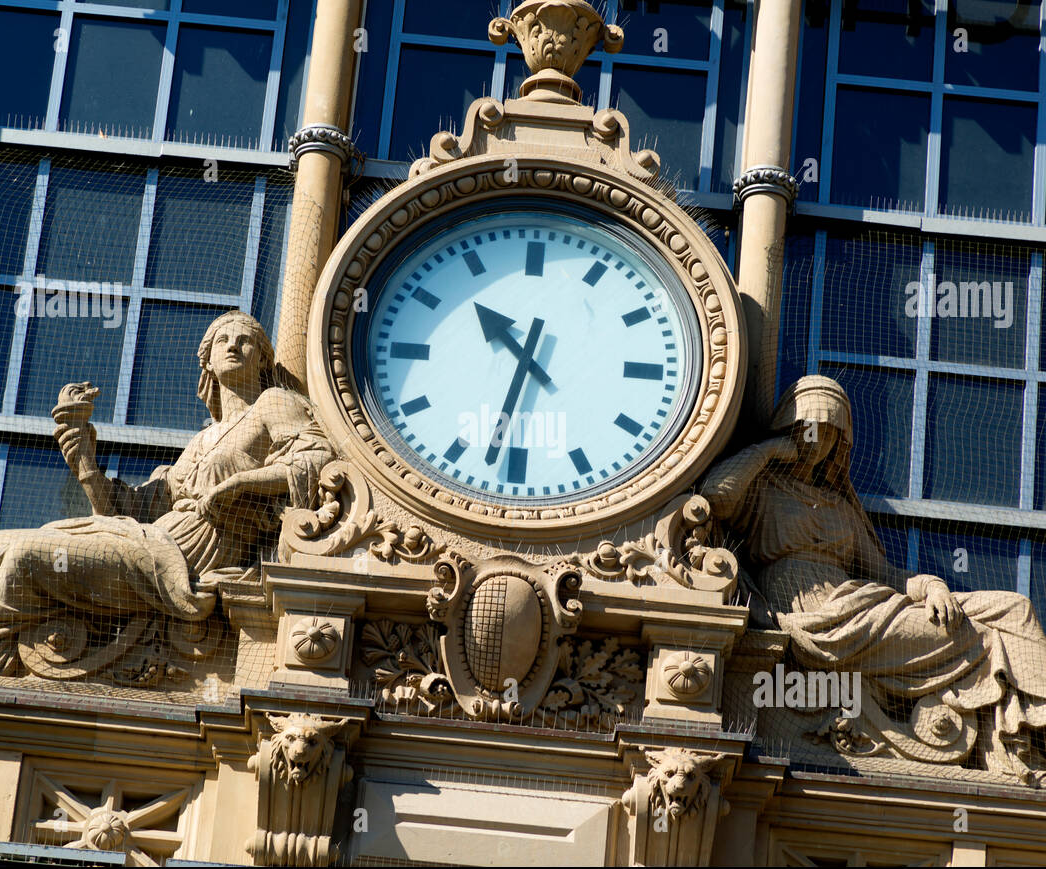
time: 10:32
